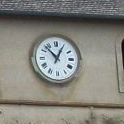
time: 12:52
